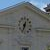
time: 12:33
